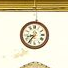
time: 8:36
